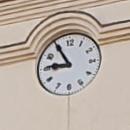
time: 8:54
